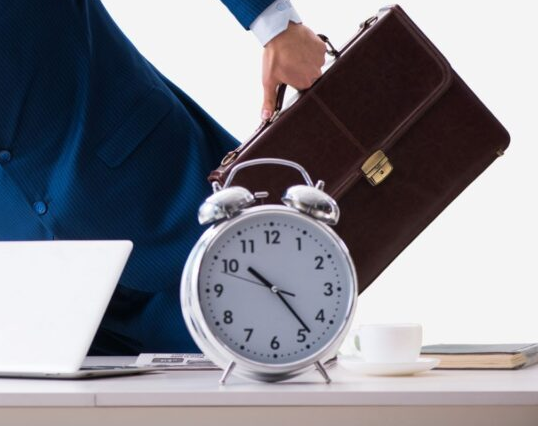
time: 10:23
